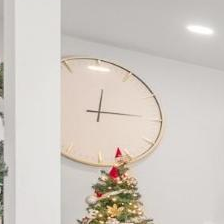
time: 12:14
